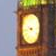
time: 3:43
